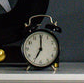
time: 7:00
